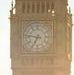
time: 6:46
